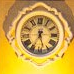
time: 5:35
